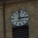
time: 2:59
